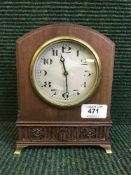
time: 11:29
